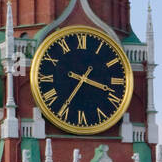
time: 3:35
